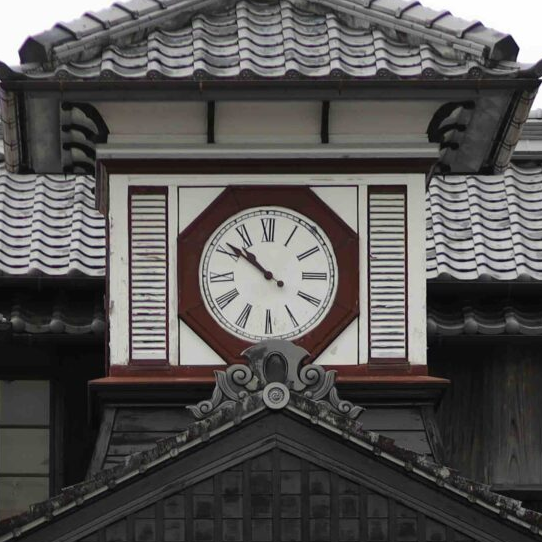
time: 10:51
